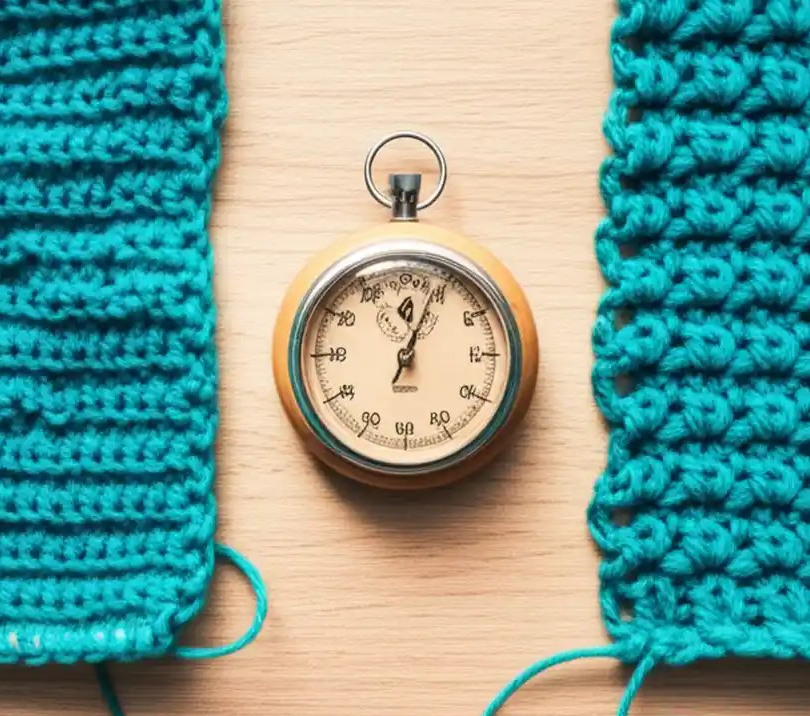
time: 12:03
